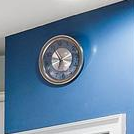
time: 6:55
